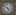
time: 4:51
